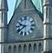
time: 9:38
